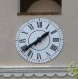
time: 1:38
